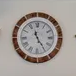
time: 11:24
